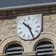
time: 10:26
